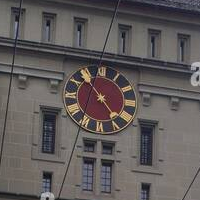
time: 4:53
